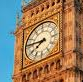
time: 7:46
